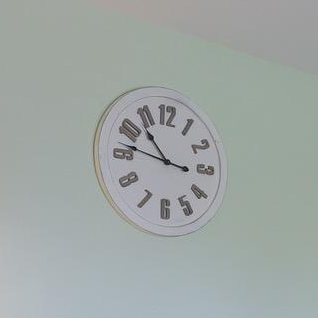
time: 10:46
